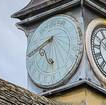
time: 7:40
